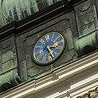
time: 3:24
